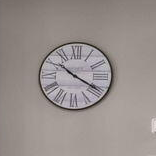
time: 10:19
